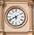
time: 8:09
